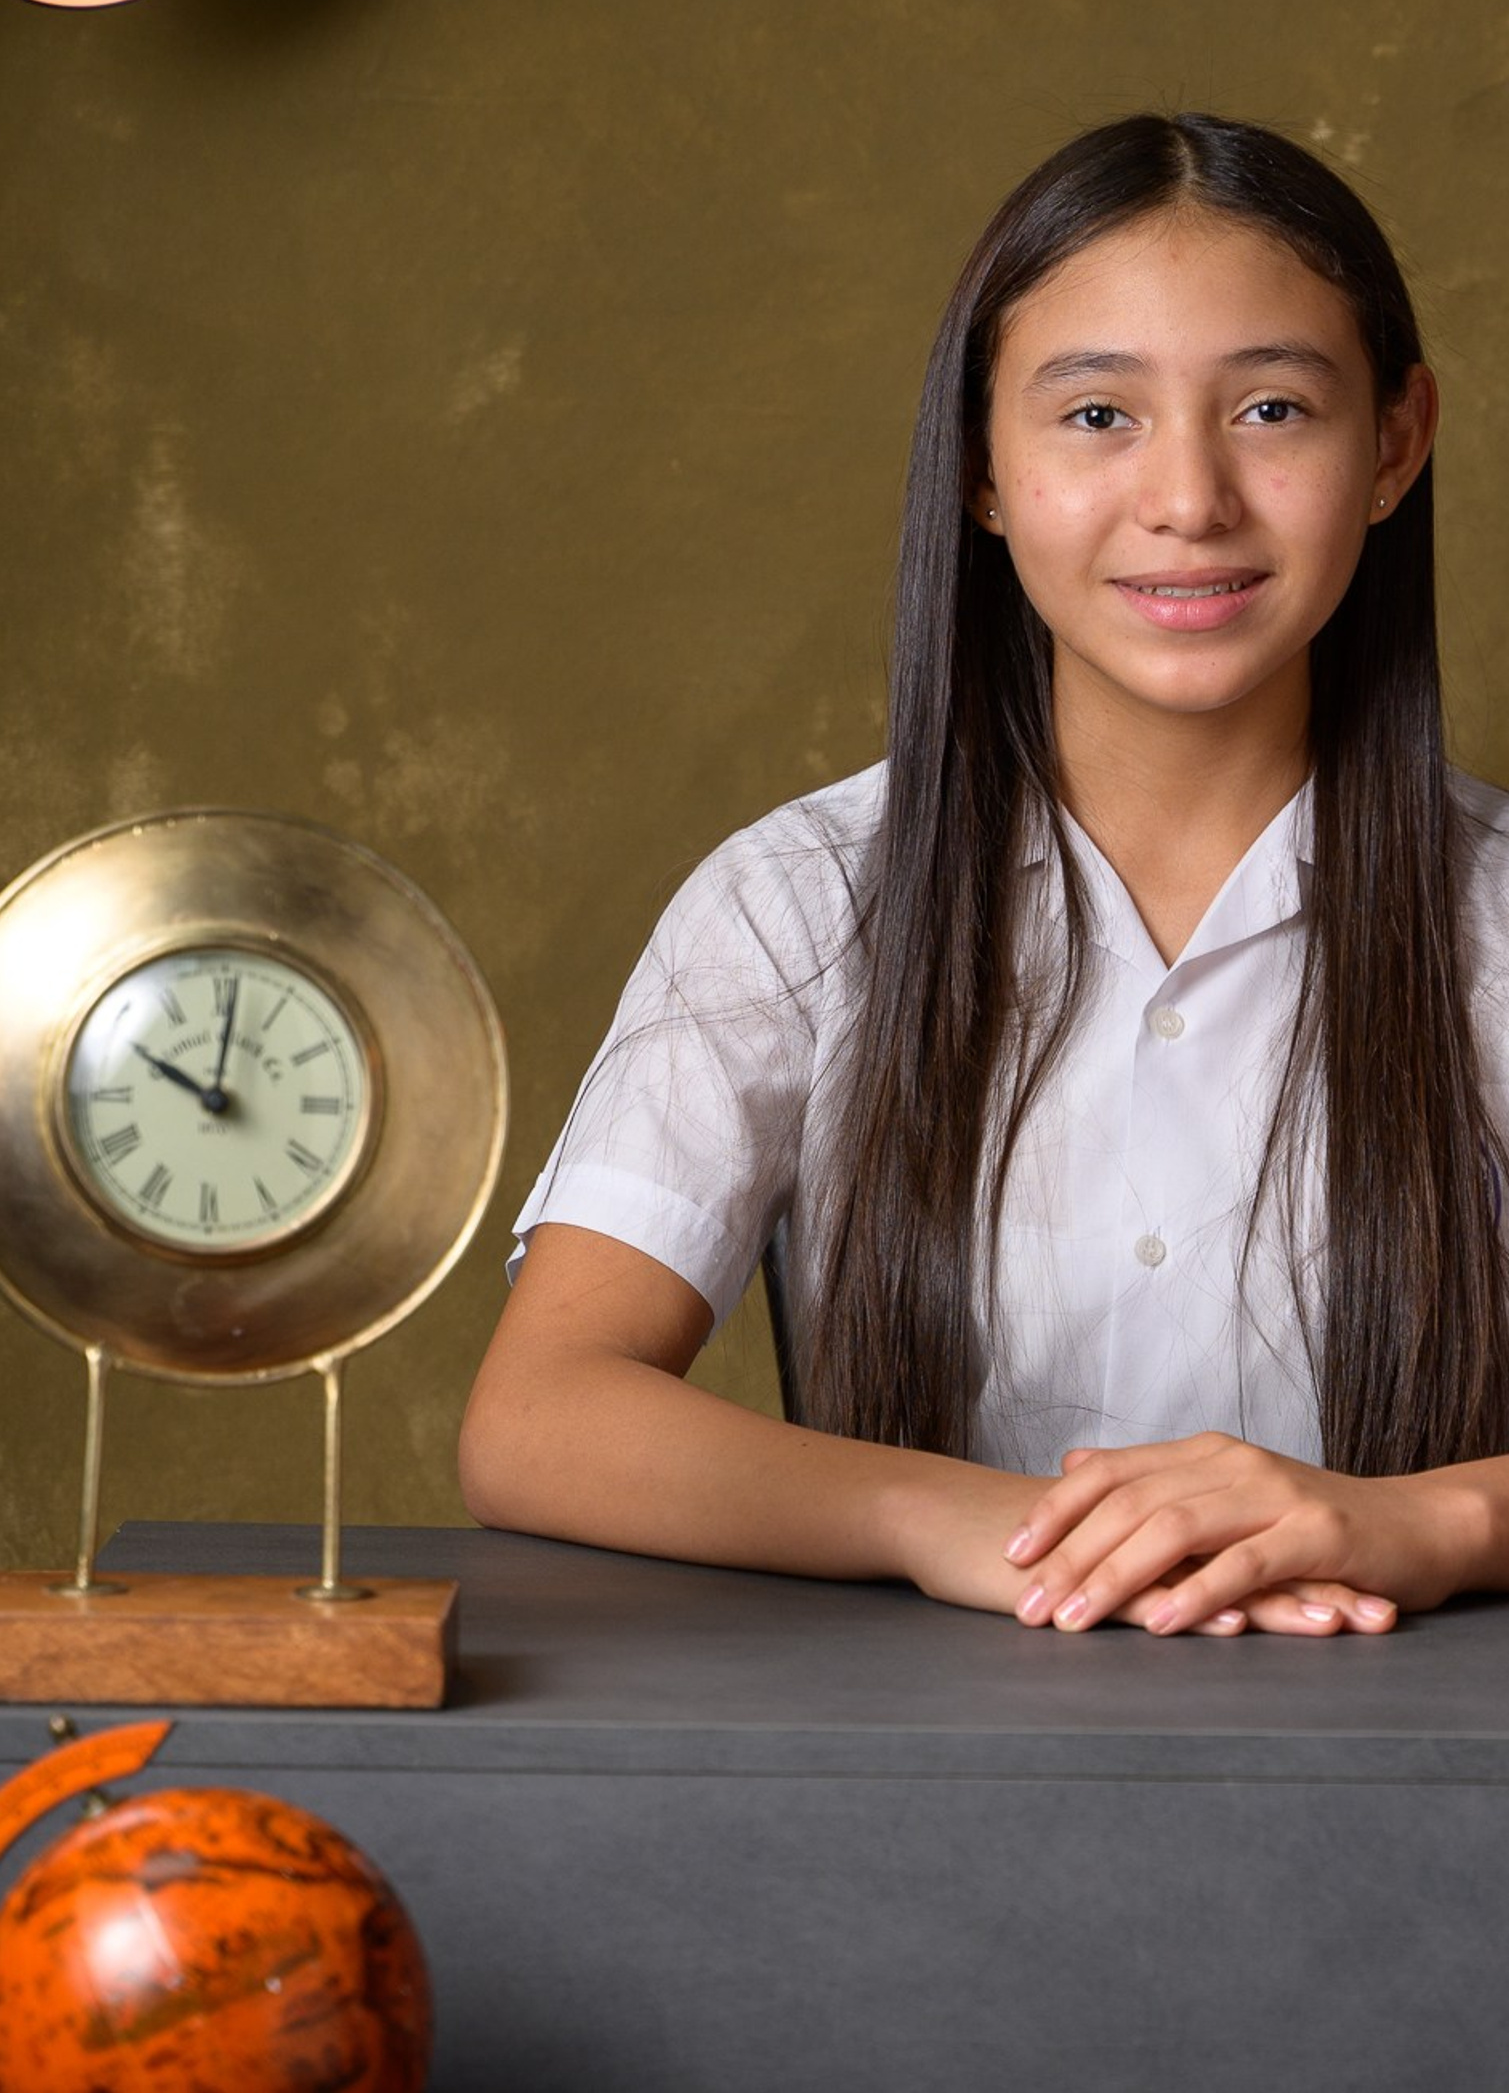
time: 10:00
